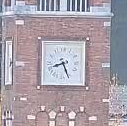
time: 8:26
